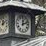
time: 12:11
